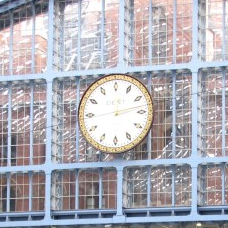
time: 12:13
